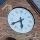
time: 5:40
